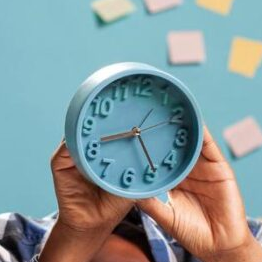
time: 8:23
